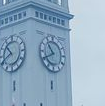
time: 10:40
